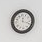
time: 12:18
